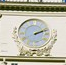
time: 2:11
